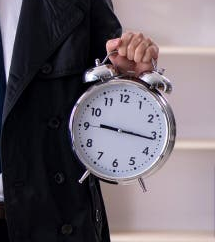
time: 9:16
